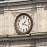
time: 1:18
